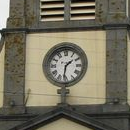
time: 1:31
